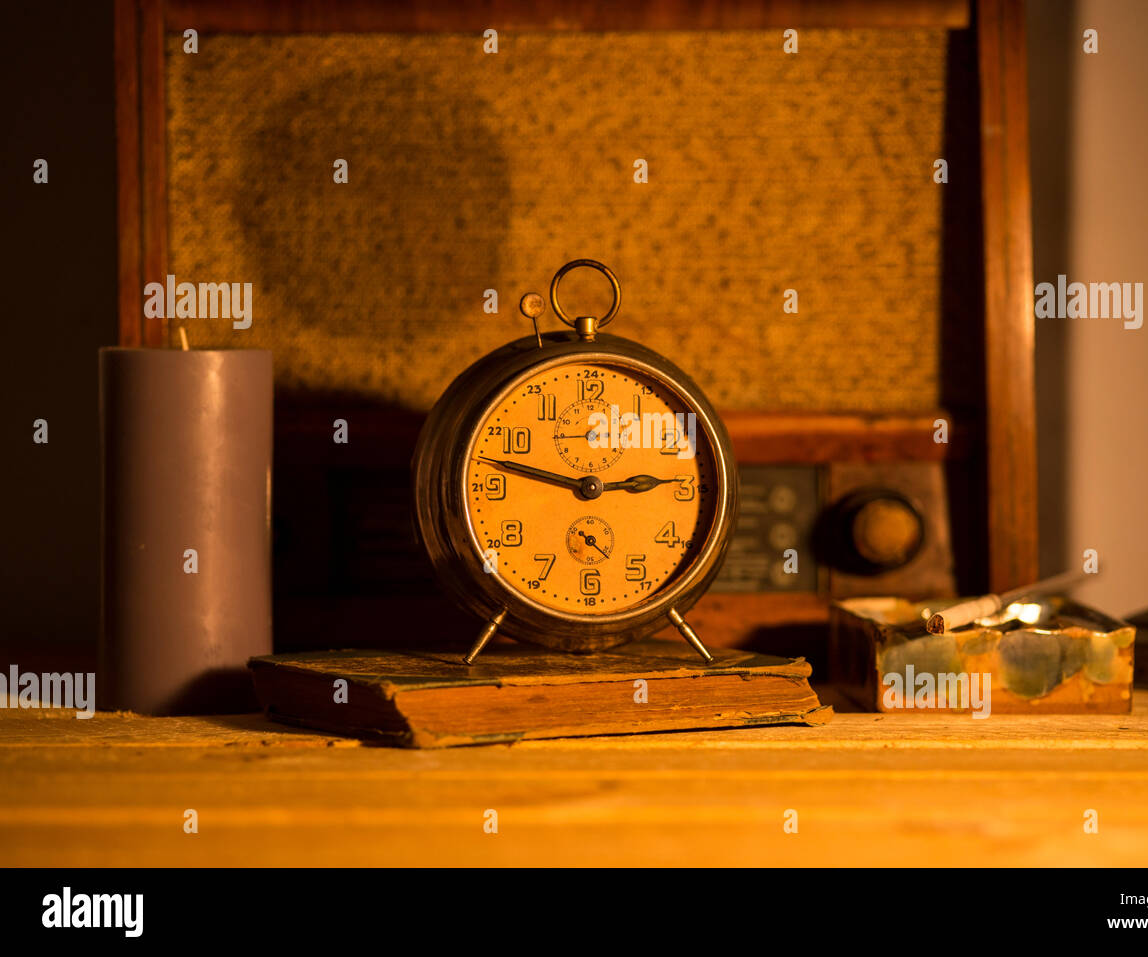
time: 2:47
